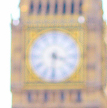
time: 3:31
